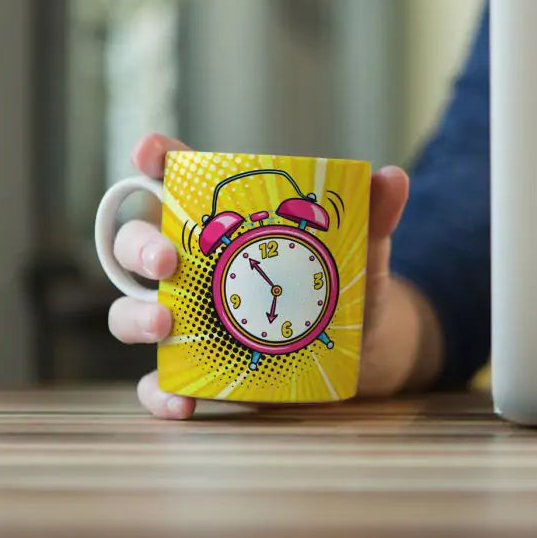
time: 6:54
